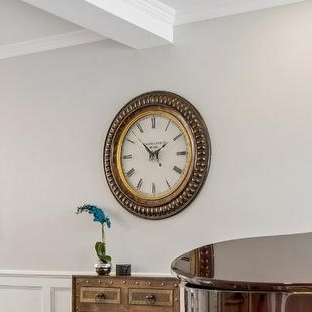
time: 1:52
